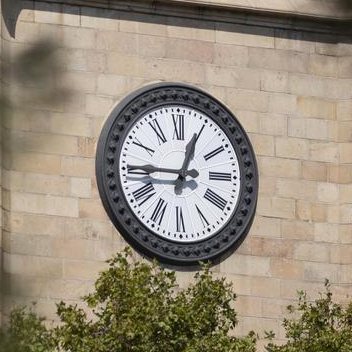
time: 12:45
